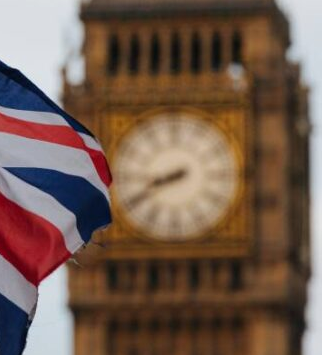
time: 8:40
